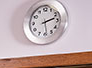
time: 2:29
